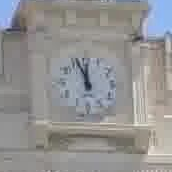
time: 11:56
